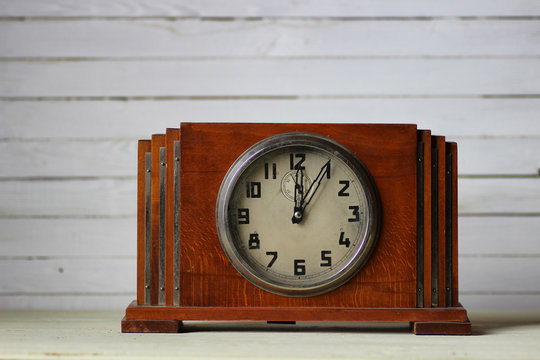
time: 12:04
